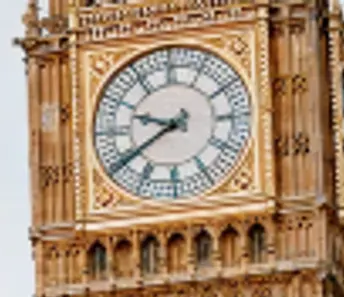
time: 9:39
